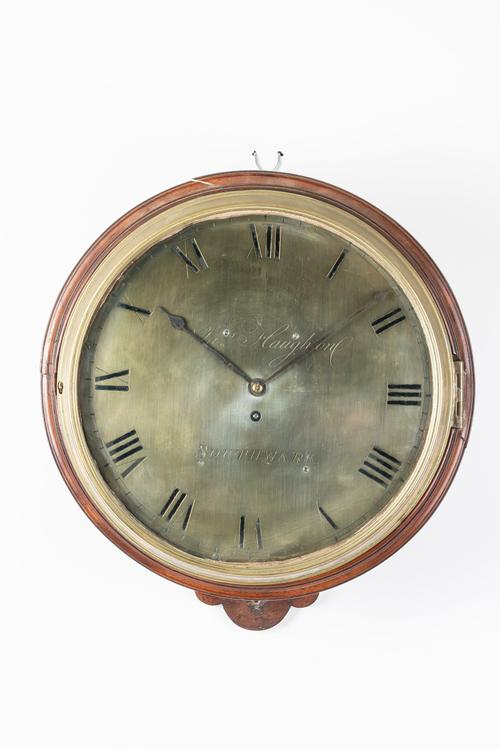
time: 1:50
